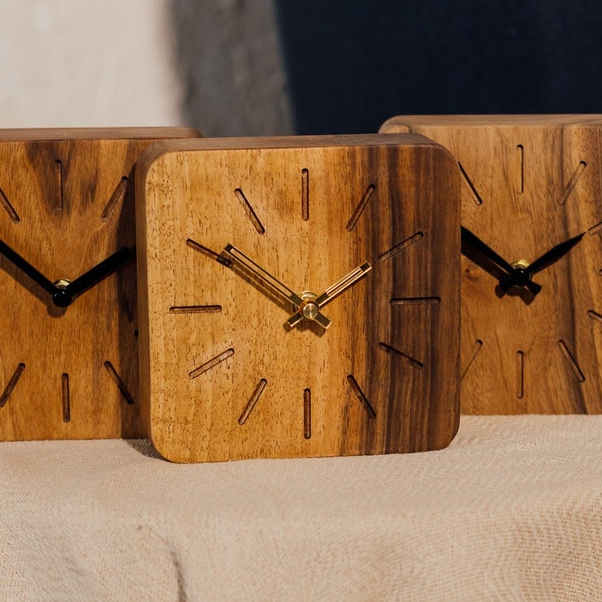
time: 1:50
